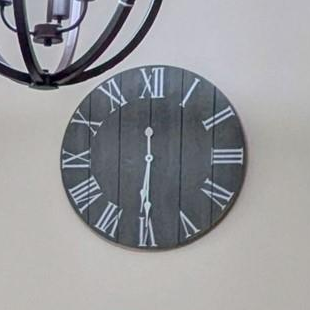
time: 6:30
